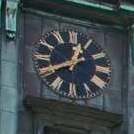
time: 12:40
